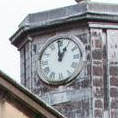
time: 12:59
